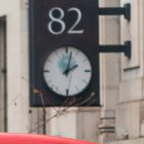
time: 2:02
